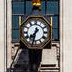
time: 7:32
